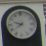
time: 9:38
